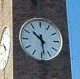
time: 10:28
